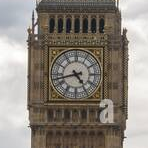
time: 4:42
